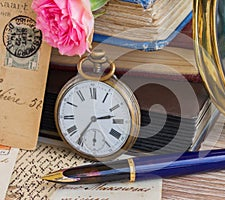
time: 2:35
